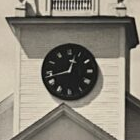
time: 12:43
